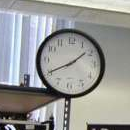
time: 1:40
